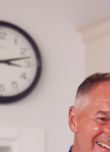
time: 3:12
